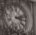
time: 3:12
